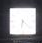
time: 6:21
